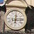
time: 12:14
